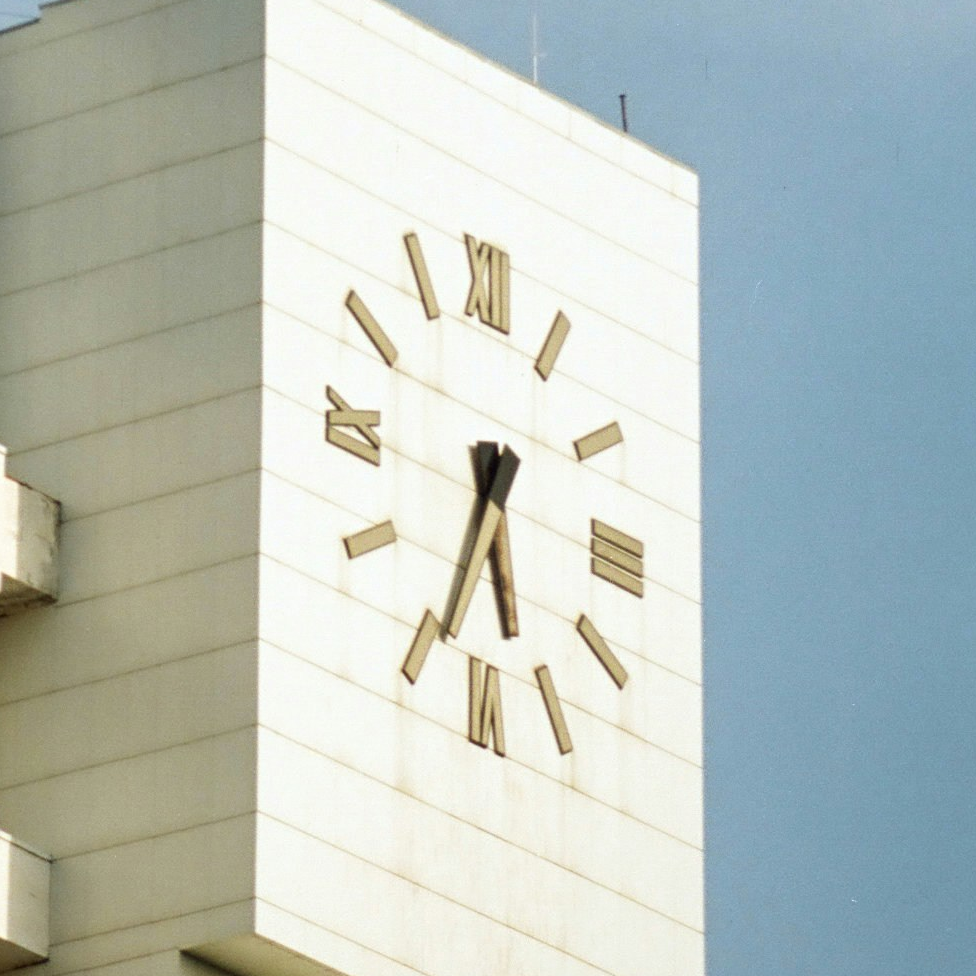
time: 5:33
